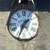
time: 1:33
